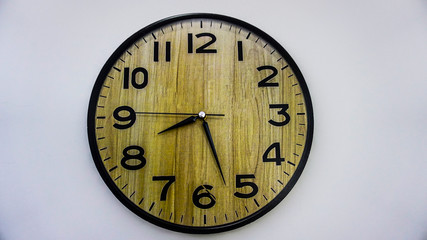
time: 8:26
